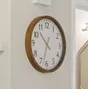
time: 10:32
